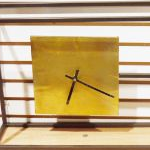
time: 6:19
